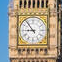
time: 8:53
